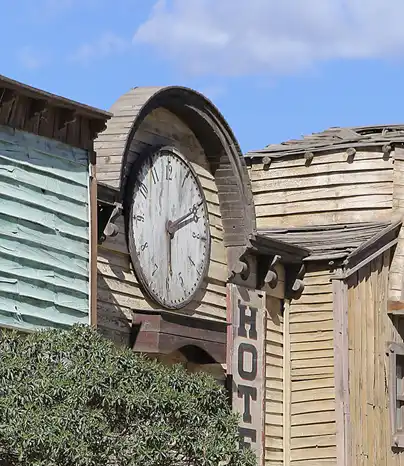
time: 2:29
